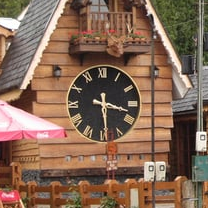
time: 3:29
